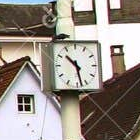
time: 10:28
